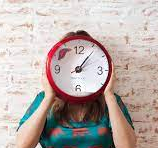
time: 1:06
